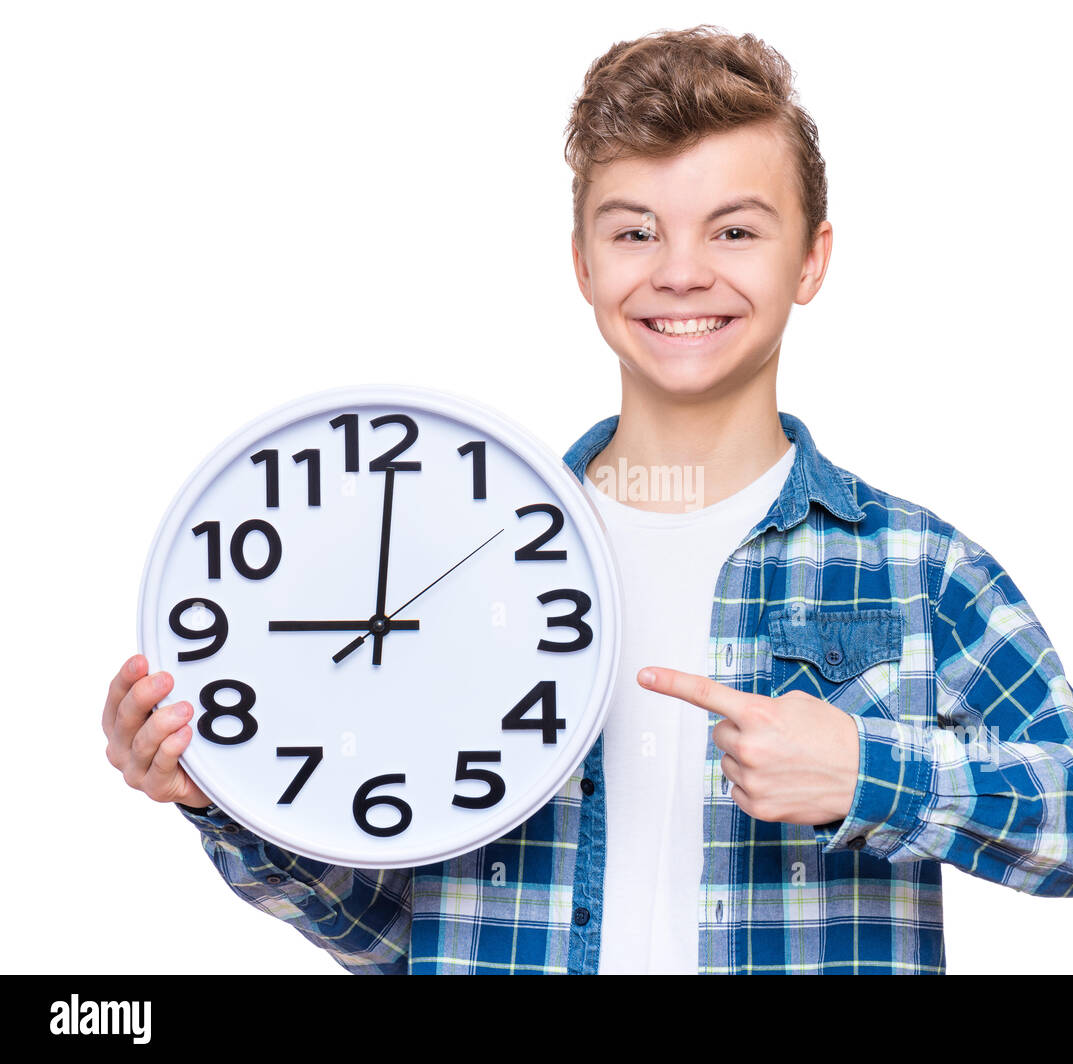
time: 9:00
